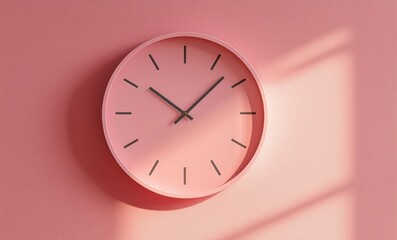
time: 10:07
